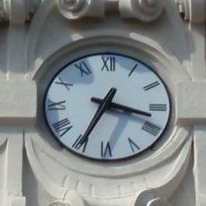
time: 3:34
